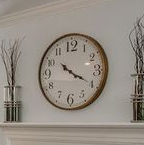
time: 10:19
